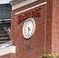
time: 4:31
